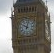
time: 10:02
